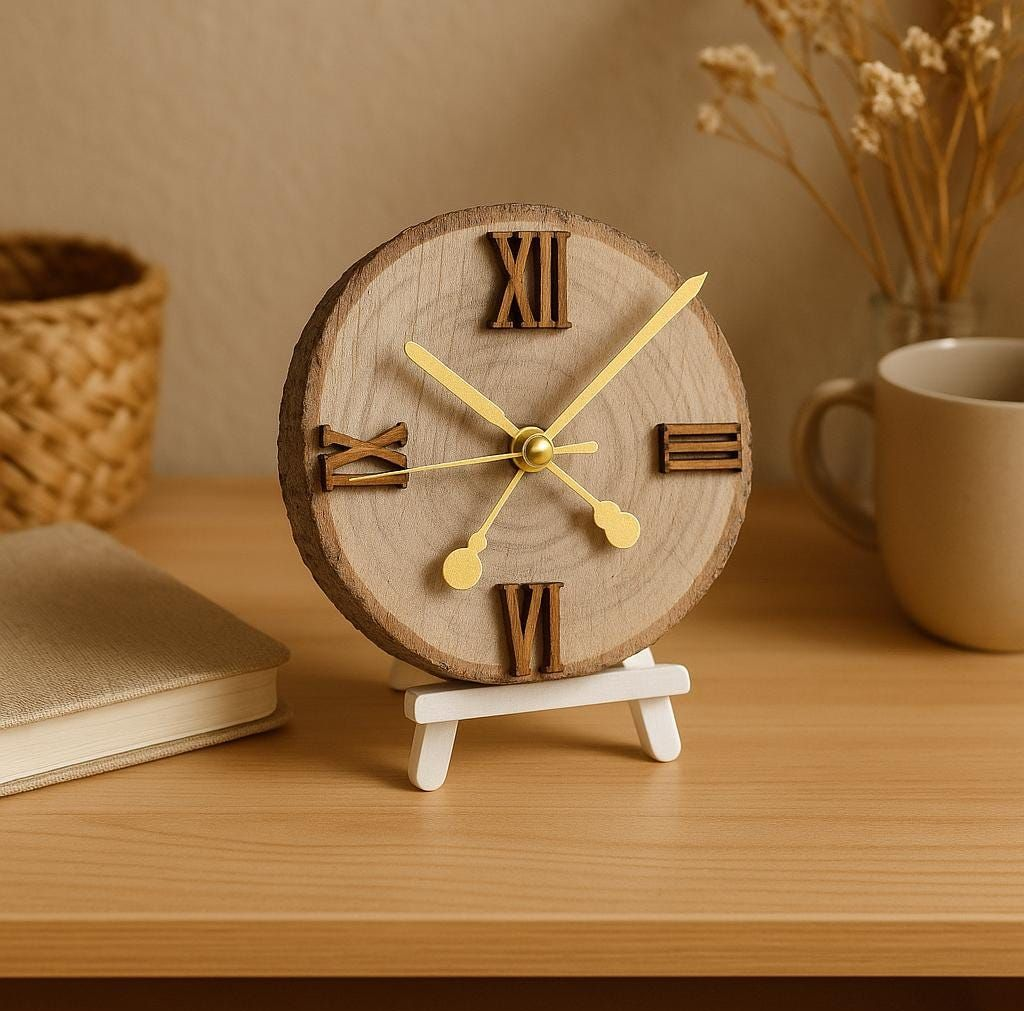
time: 10:07
